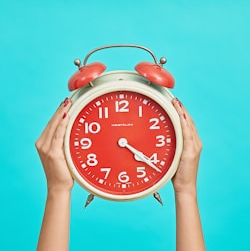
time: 4:21
